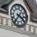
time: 3:36
